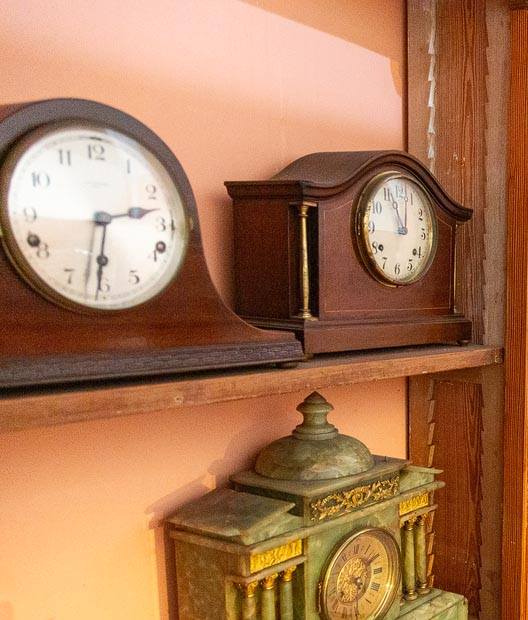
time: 2:31
